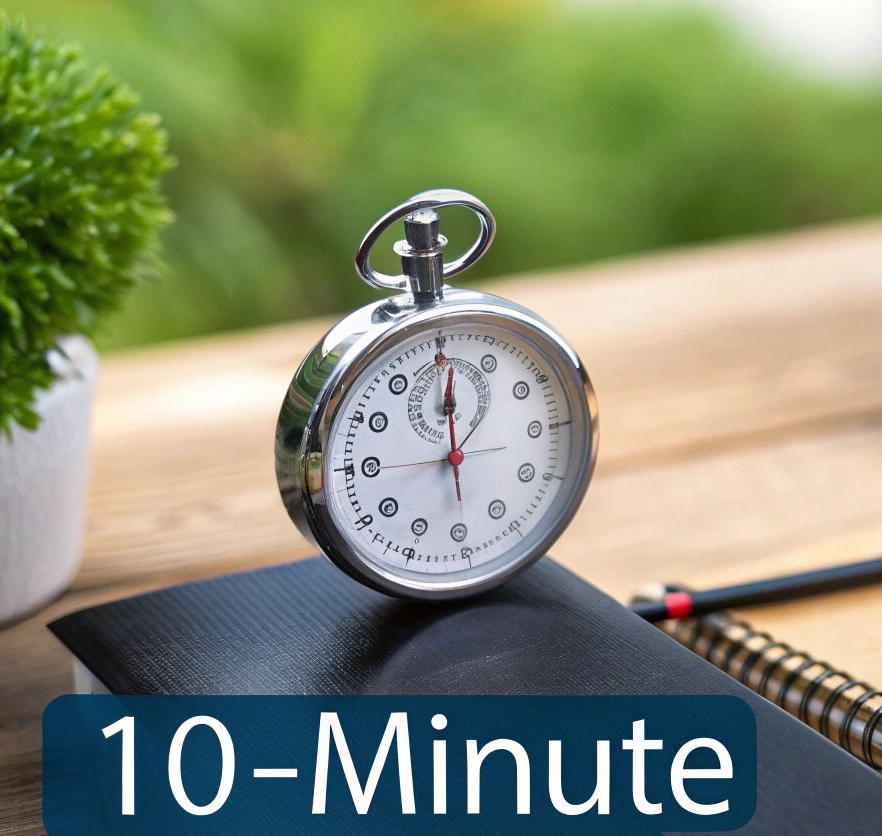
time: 12:00
